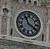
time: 11:19
